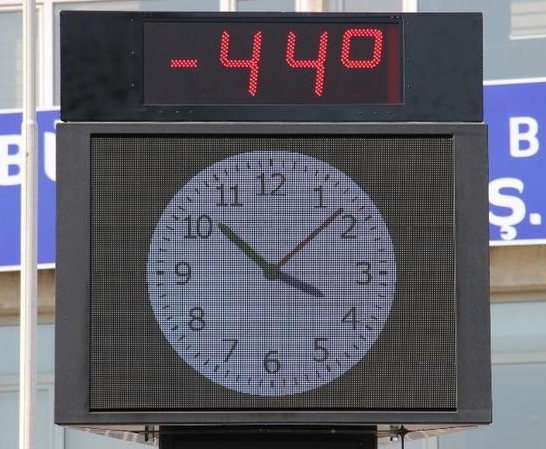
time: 10:08
